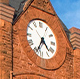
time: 4:34
